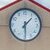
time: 1:29
